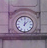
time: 12:07
